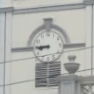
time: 8:45
